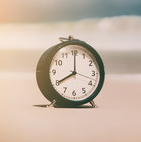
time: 8:00
